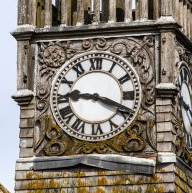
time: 9:18
